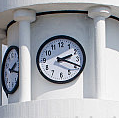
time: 2:18
